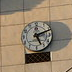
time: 5:11
